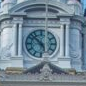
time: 4:52
